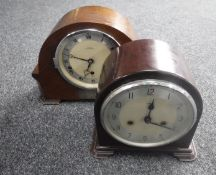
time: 6:47
